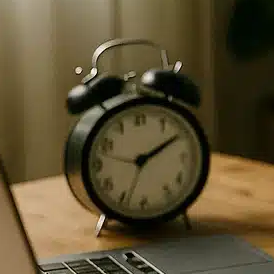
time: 2:09
